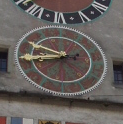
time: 1:43
